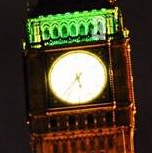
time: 5:36
